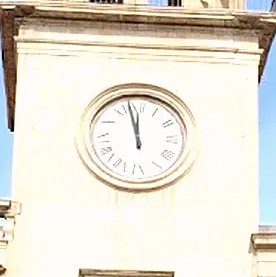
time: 11:57
